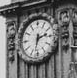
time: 2:32
